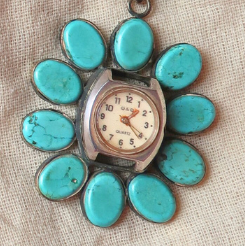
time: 1:20
